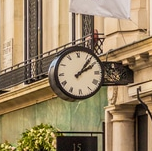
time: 2:07
